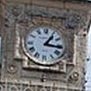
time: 1:16
